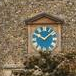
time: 10:07
